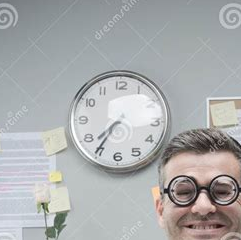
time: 7:35
